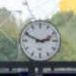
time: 2:49
